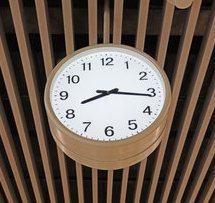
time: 8:16
